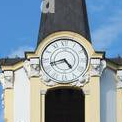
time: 4:42
